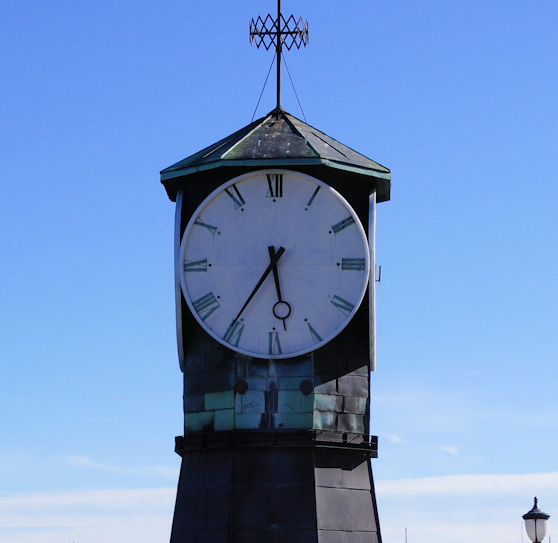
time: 5:35
